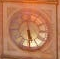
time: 5:29
